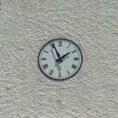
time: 1:56
